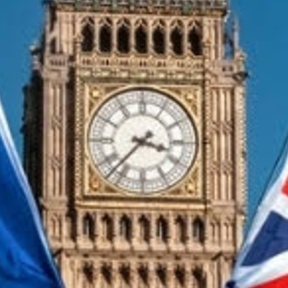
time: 3:37
